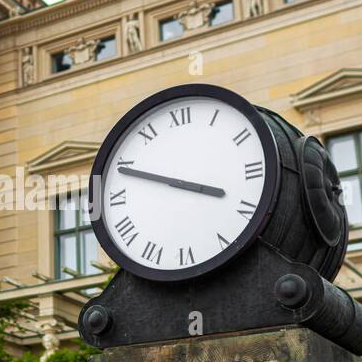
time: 3:48
